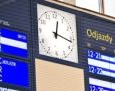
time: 12:16
